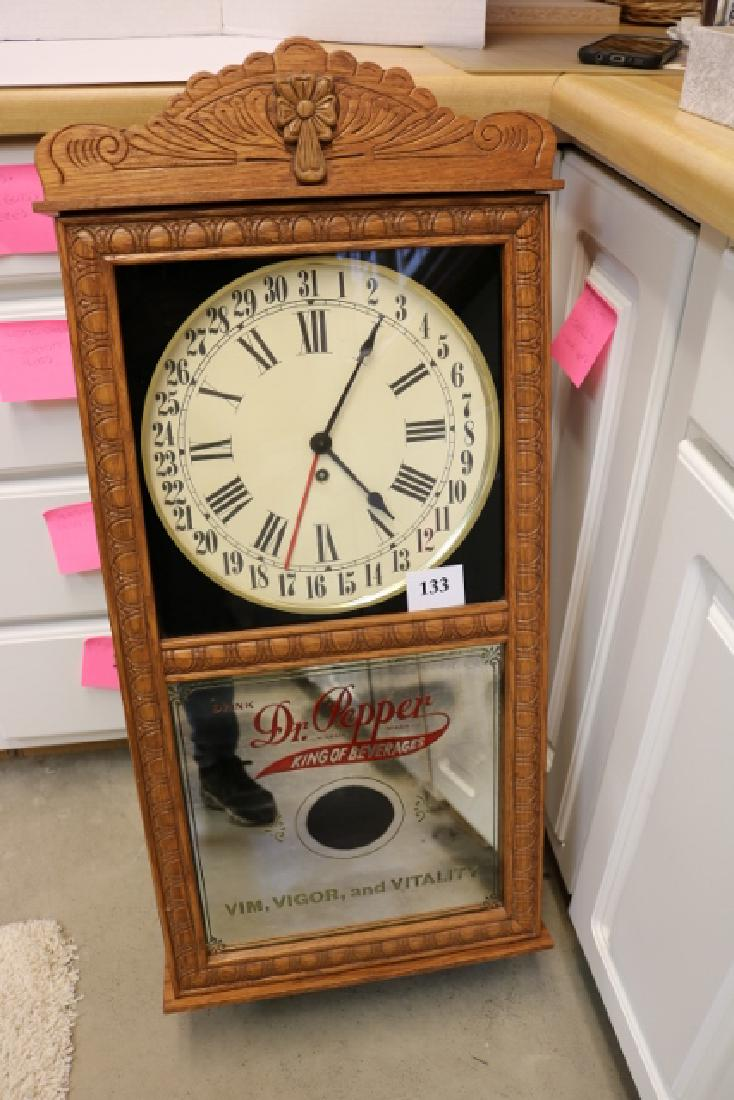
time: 4:04
